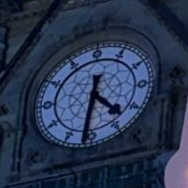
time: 4:31
